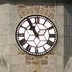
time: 10:55
